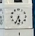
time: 5:34
